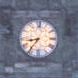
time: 8:36
